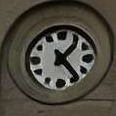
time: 1:23
